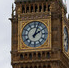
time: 2:03
